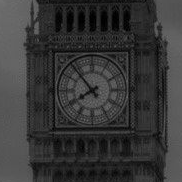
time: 7:52
